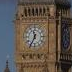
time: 11:34
